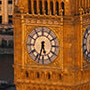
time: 5:33
